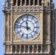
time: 11:47
